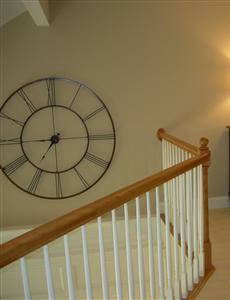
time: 7:00
